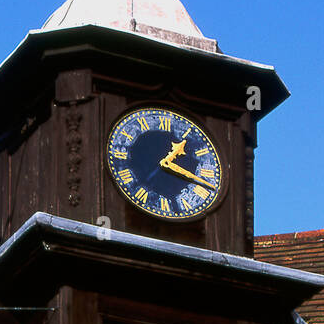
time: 1:18
